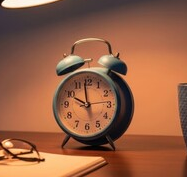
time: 9:58
